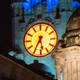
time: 5:34
